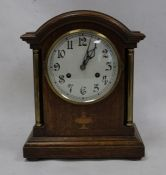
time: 1:02
